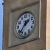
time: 1:37
